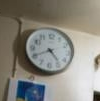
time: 4:40
